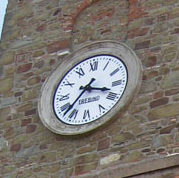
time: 3:37
